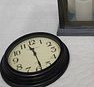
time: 11:29
